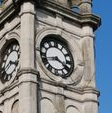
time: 3:42
